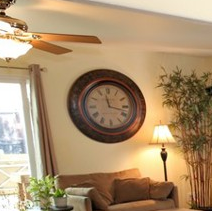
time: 11:17
